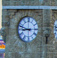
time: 8:47
